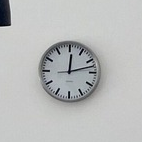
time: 12:12
